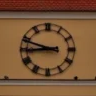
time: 8:48
